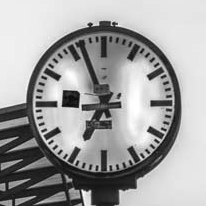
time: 6:56
